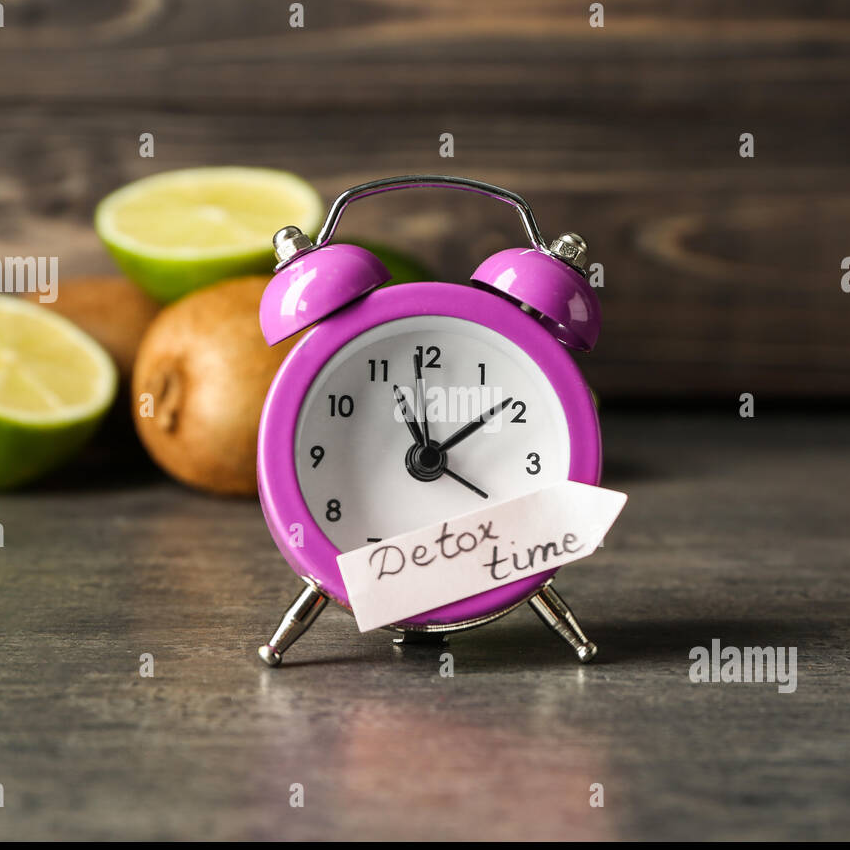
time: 11:08
